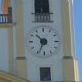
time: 10:34
